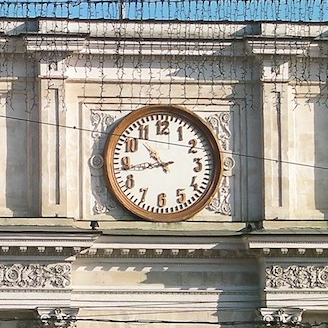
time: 10:43
